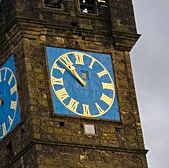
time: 10:51
